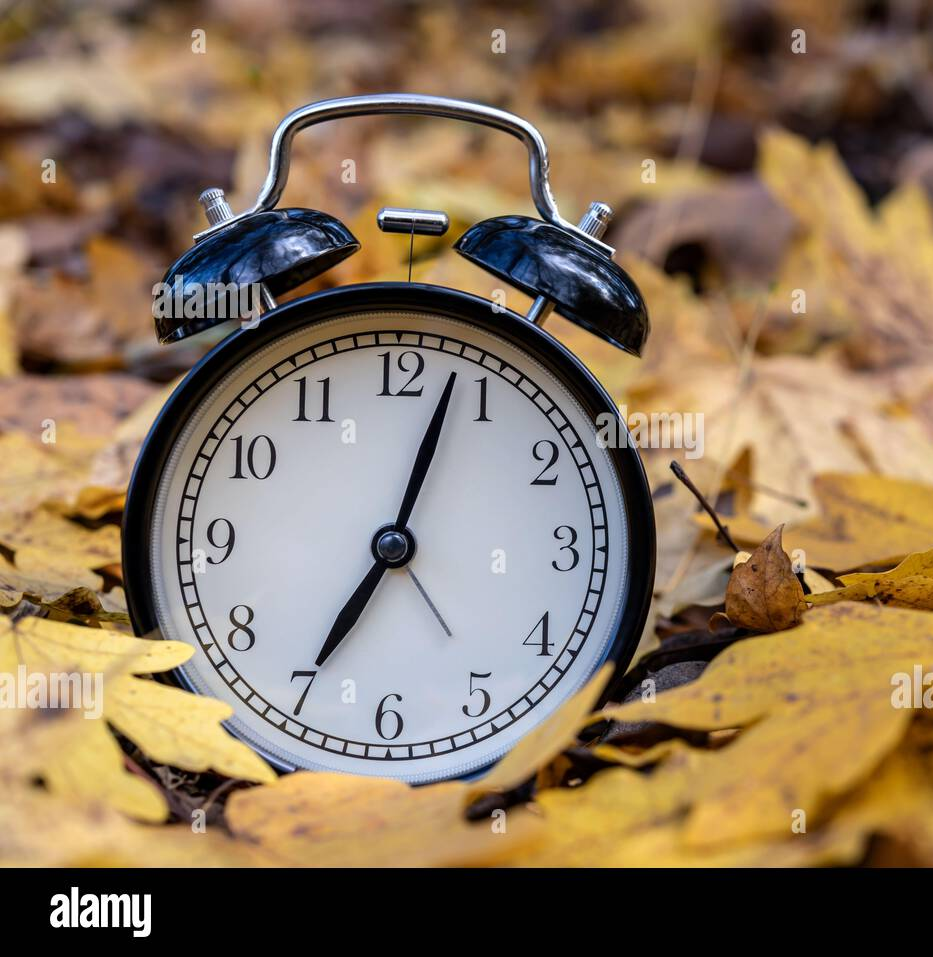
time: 7:03
